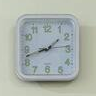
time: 1:42
